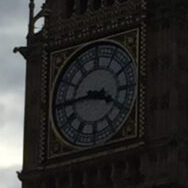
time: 3:44
